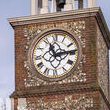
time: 11:13
